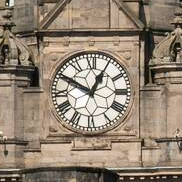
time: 12:50
